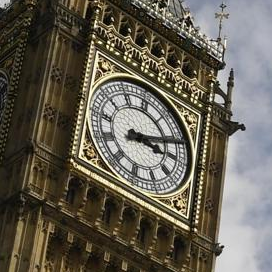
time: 3:11
